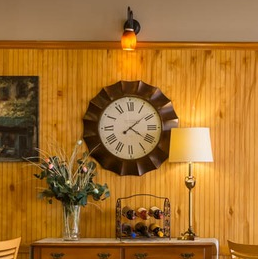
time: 4:08
